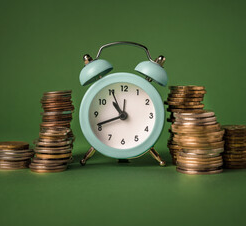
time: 10:41
